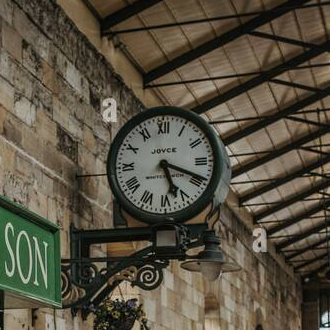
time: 5:18
